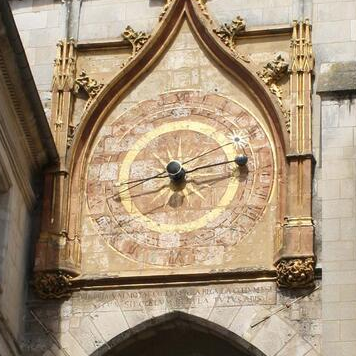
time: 2:42
